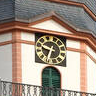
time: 9:33
